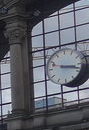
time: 3:17
